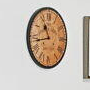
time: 10:43
